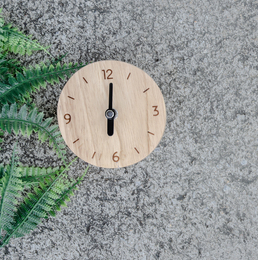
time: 6:01
